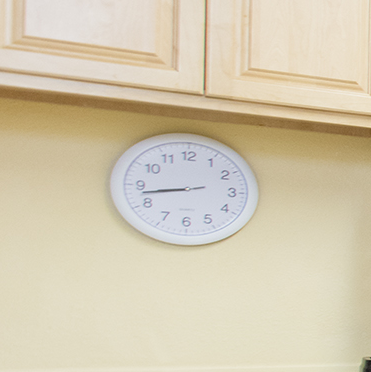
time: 8:42
